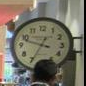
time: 9:34
